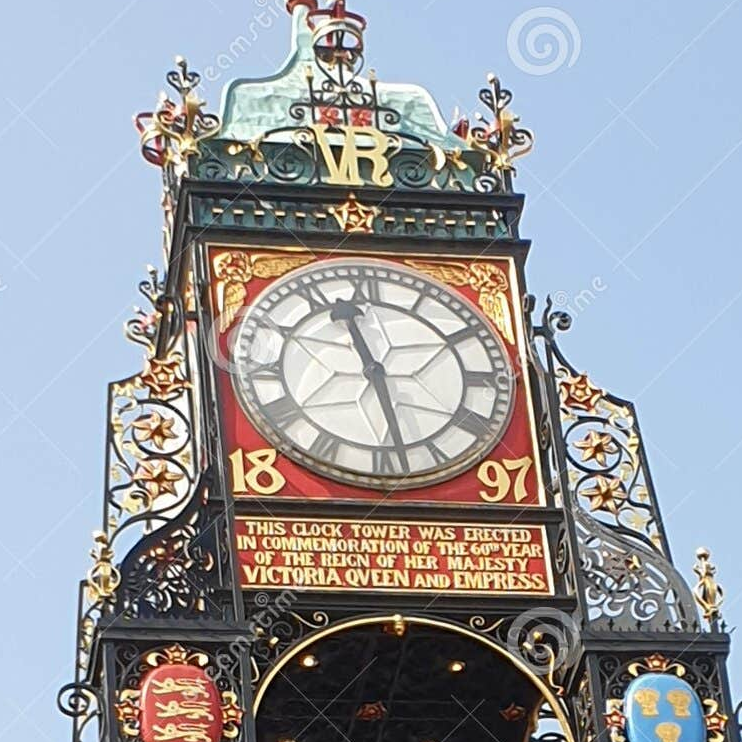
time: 11:28
